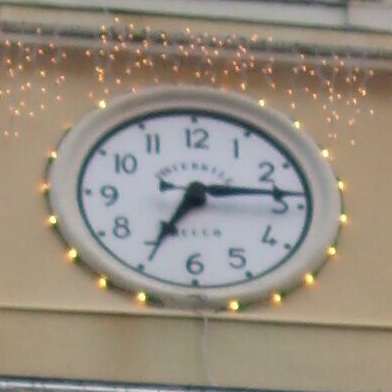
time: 7:14
